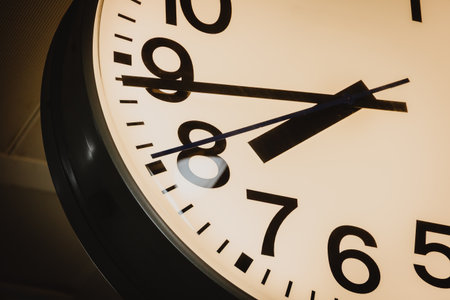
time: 7:44
